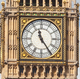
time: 11:24
